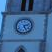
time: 2:25
